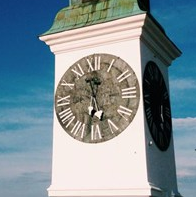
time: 11:32
